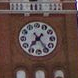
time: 7:24
